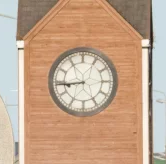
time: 8:43
